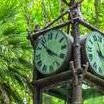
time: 10:20
